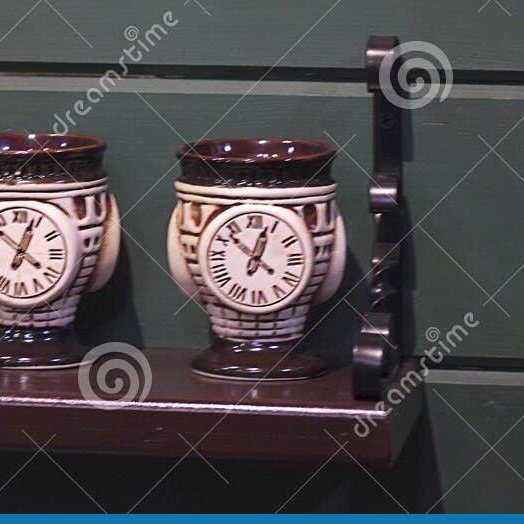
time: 12:52
